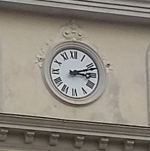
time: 3:12
